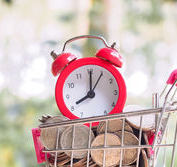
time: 8:00
